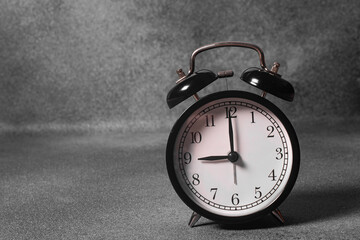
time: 8:59
